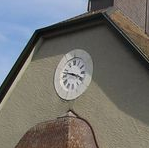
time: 3:47
